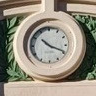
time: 10:19
